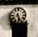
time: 5:26
